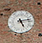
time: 5:13
